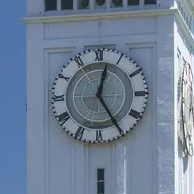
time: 12:24
